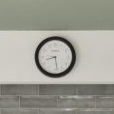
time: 8:28
